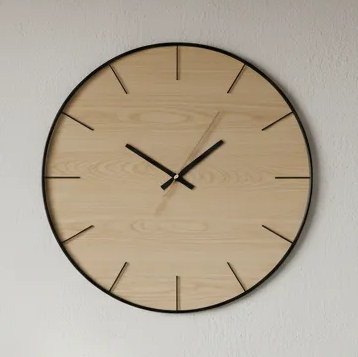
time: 1:50
